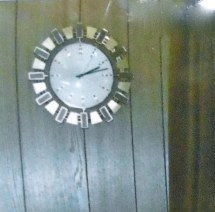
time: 2:12
